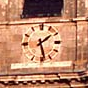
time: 1:28
